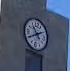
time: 10:40
